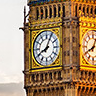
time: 8:04
